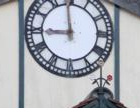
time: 8:58
